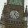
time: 12:23
